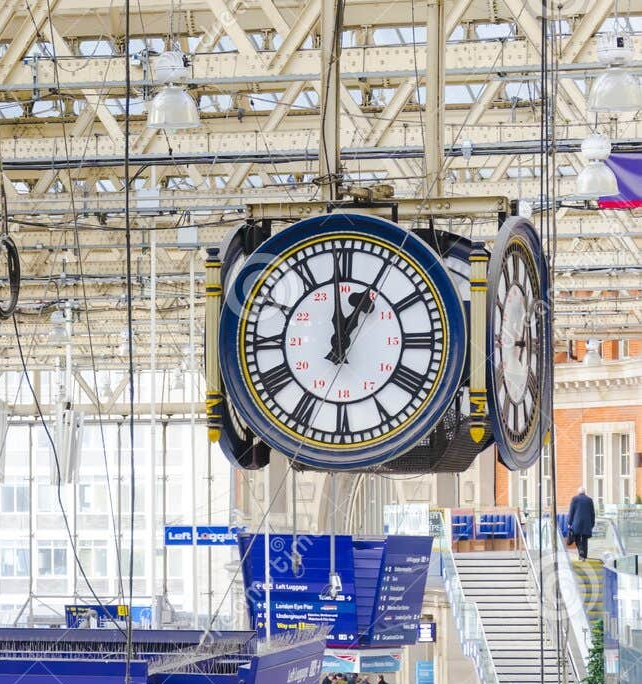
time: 12:59
